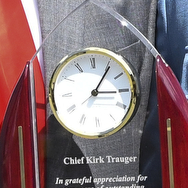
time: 3:05
